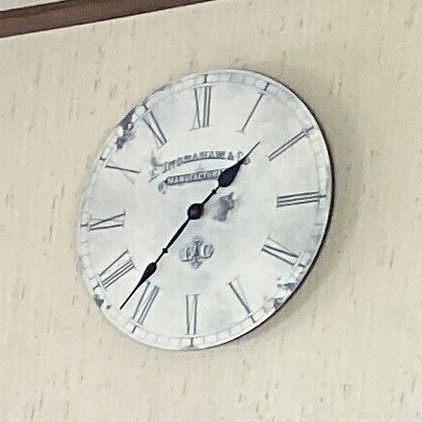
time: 1:36
